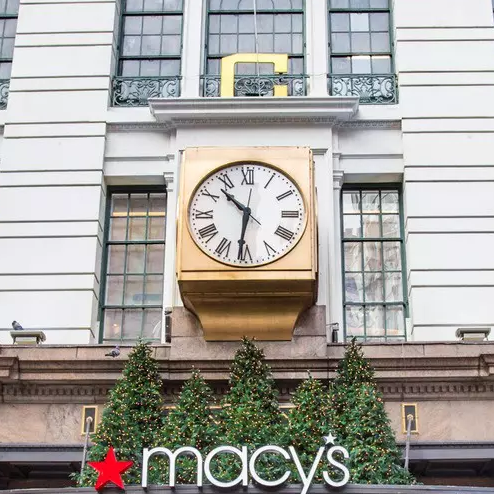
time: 10:31
